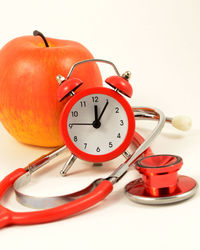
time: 12:05
